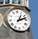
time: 1:12
